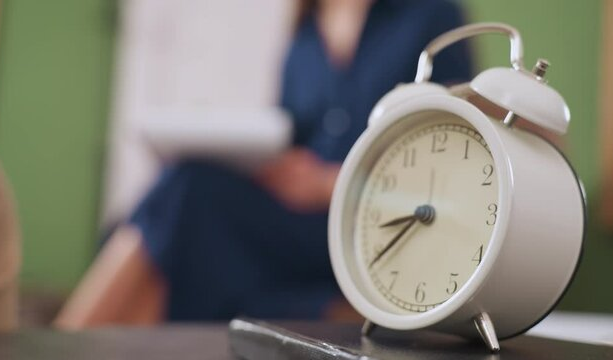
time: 8:38
